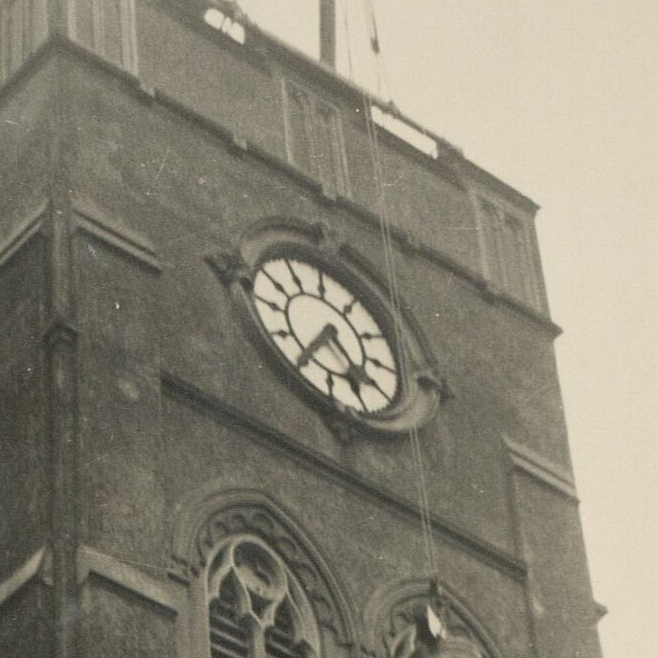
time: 4:35
